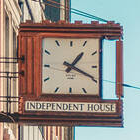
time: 1:19
